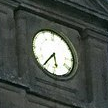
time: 5:36
